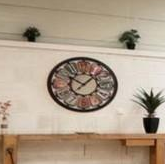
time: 10:07
